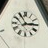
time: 2:55
